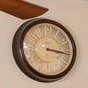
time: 3:16
